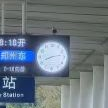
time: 8:12
